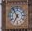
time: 6:54
